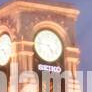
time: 4:46
